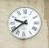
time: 9:38
